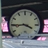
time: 3:44
